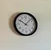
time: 10:07
